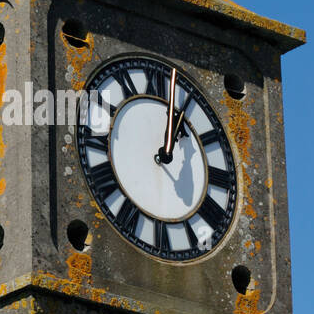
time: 1:02
